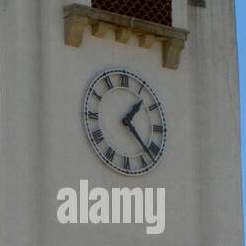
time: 1:22
